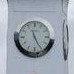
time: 11:25
